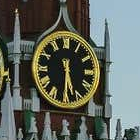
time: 5:30
